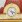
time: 5:18
